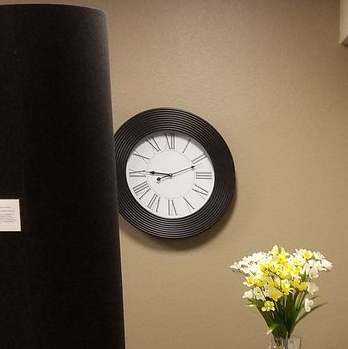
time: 9:11
